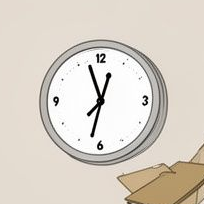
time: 11:32
